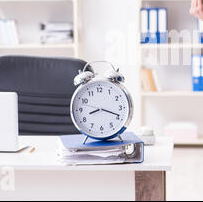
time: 8:18
